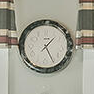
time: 1:25
